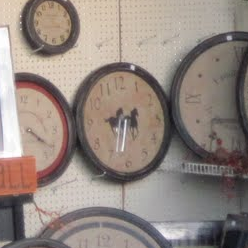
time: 8:33
